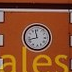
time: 11:42
